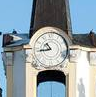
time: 10:42
